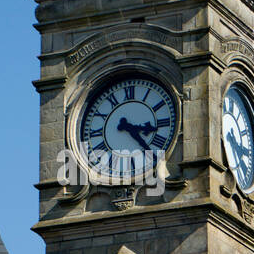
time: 3:22
